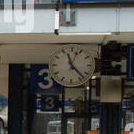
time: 11:23
